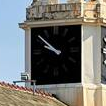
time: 9:51
